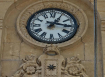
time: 1:16
